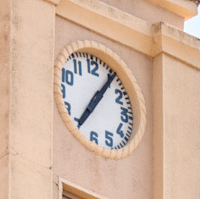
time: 7:06
